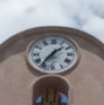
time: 1:36
